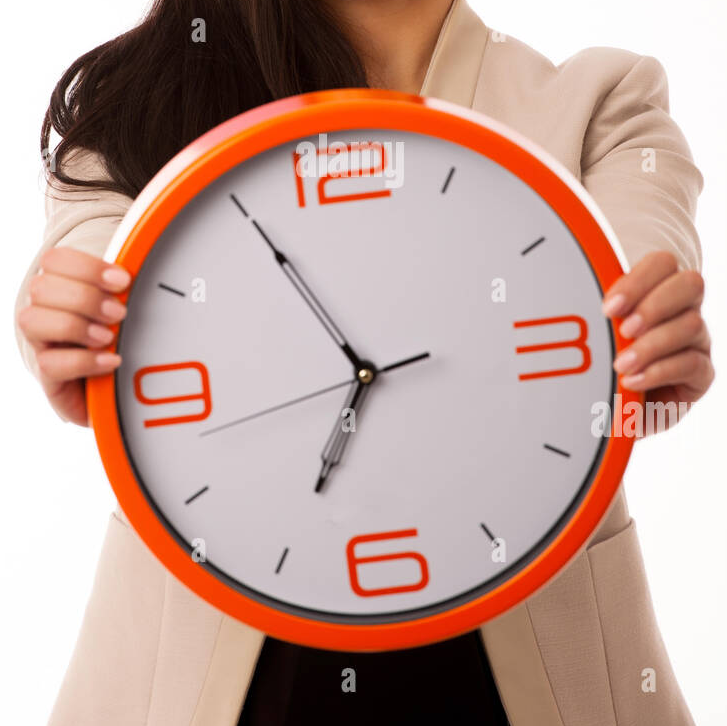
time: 6:55
